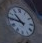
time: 10:45
